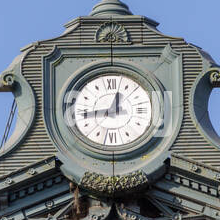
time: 12:43
